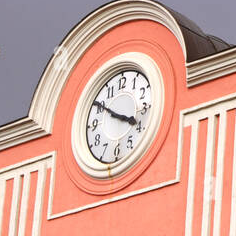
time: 3:50
